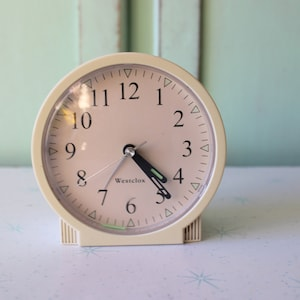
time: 4:23
